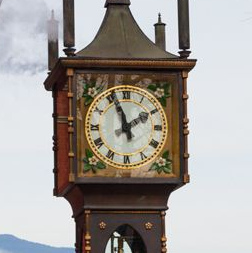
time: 1:56
